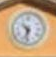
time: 10:32
